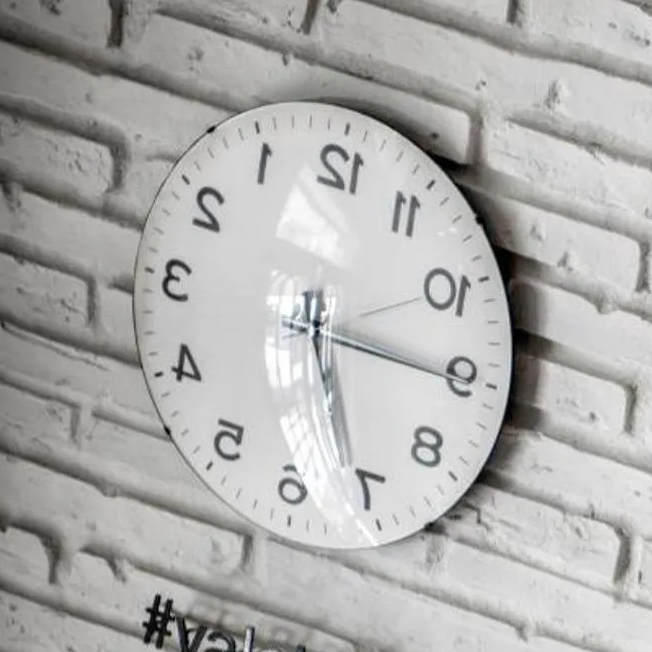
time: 5:15
